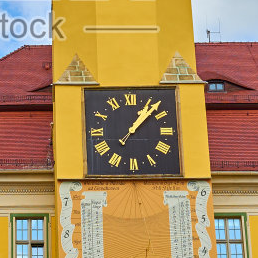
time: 1:07
